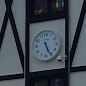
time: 5:25
